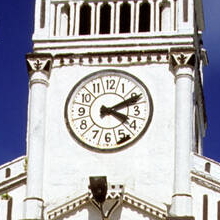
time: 4:10
